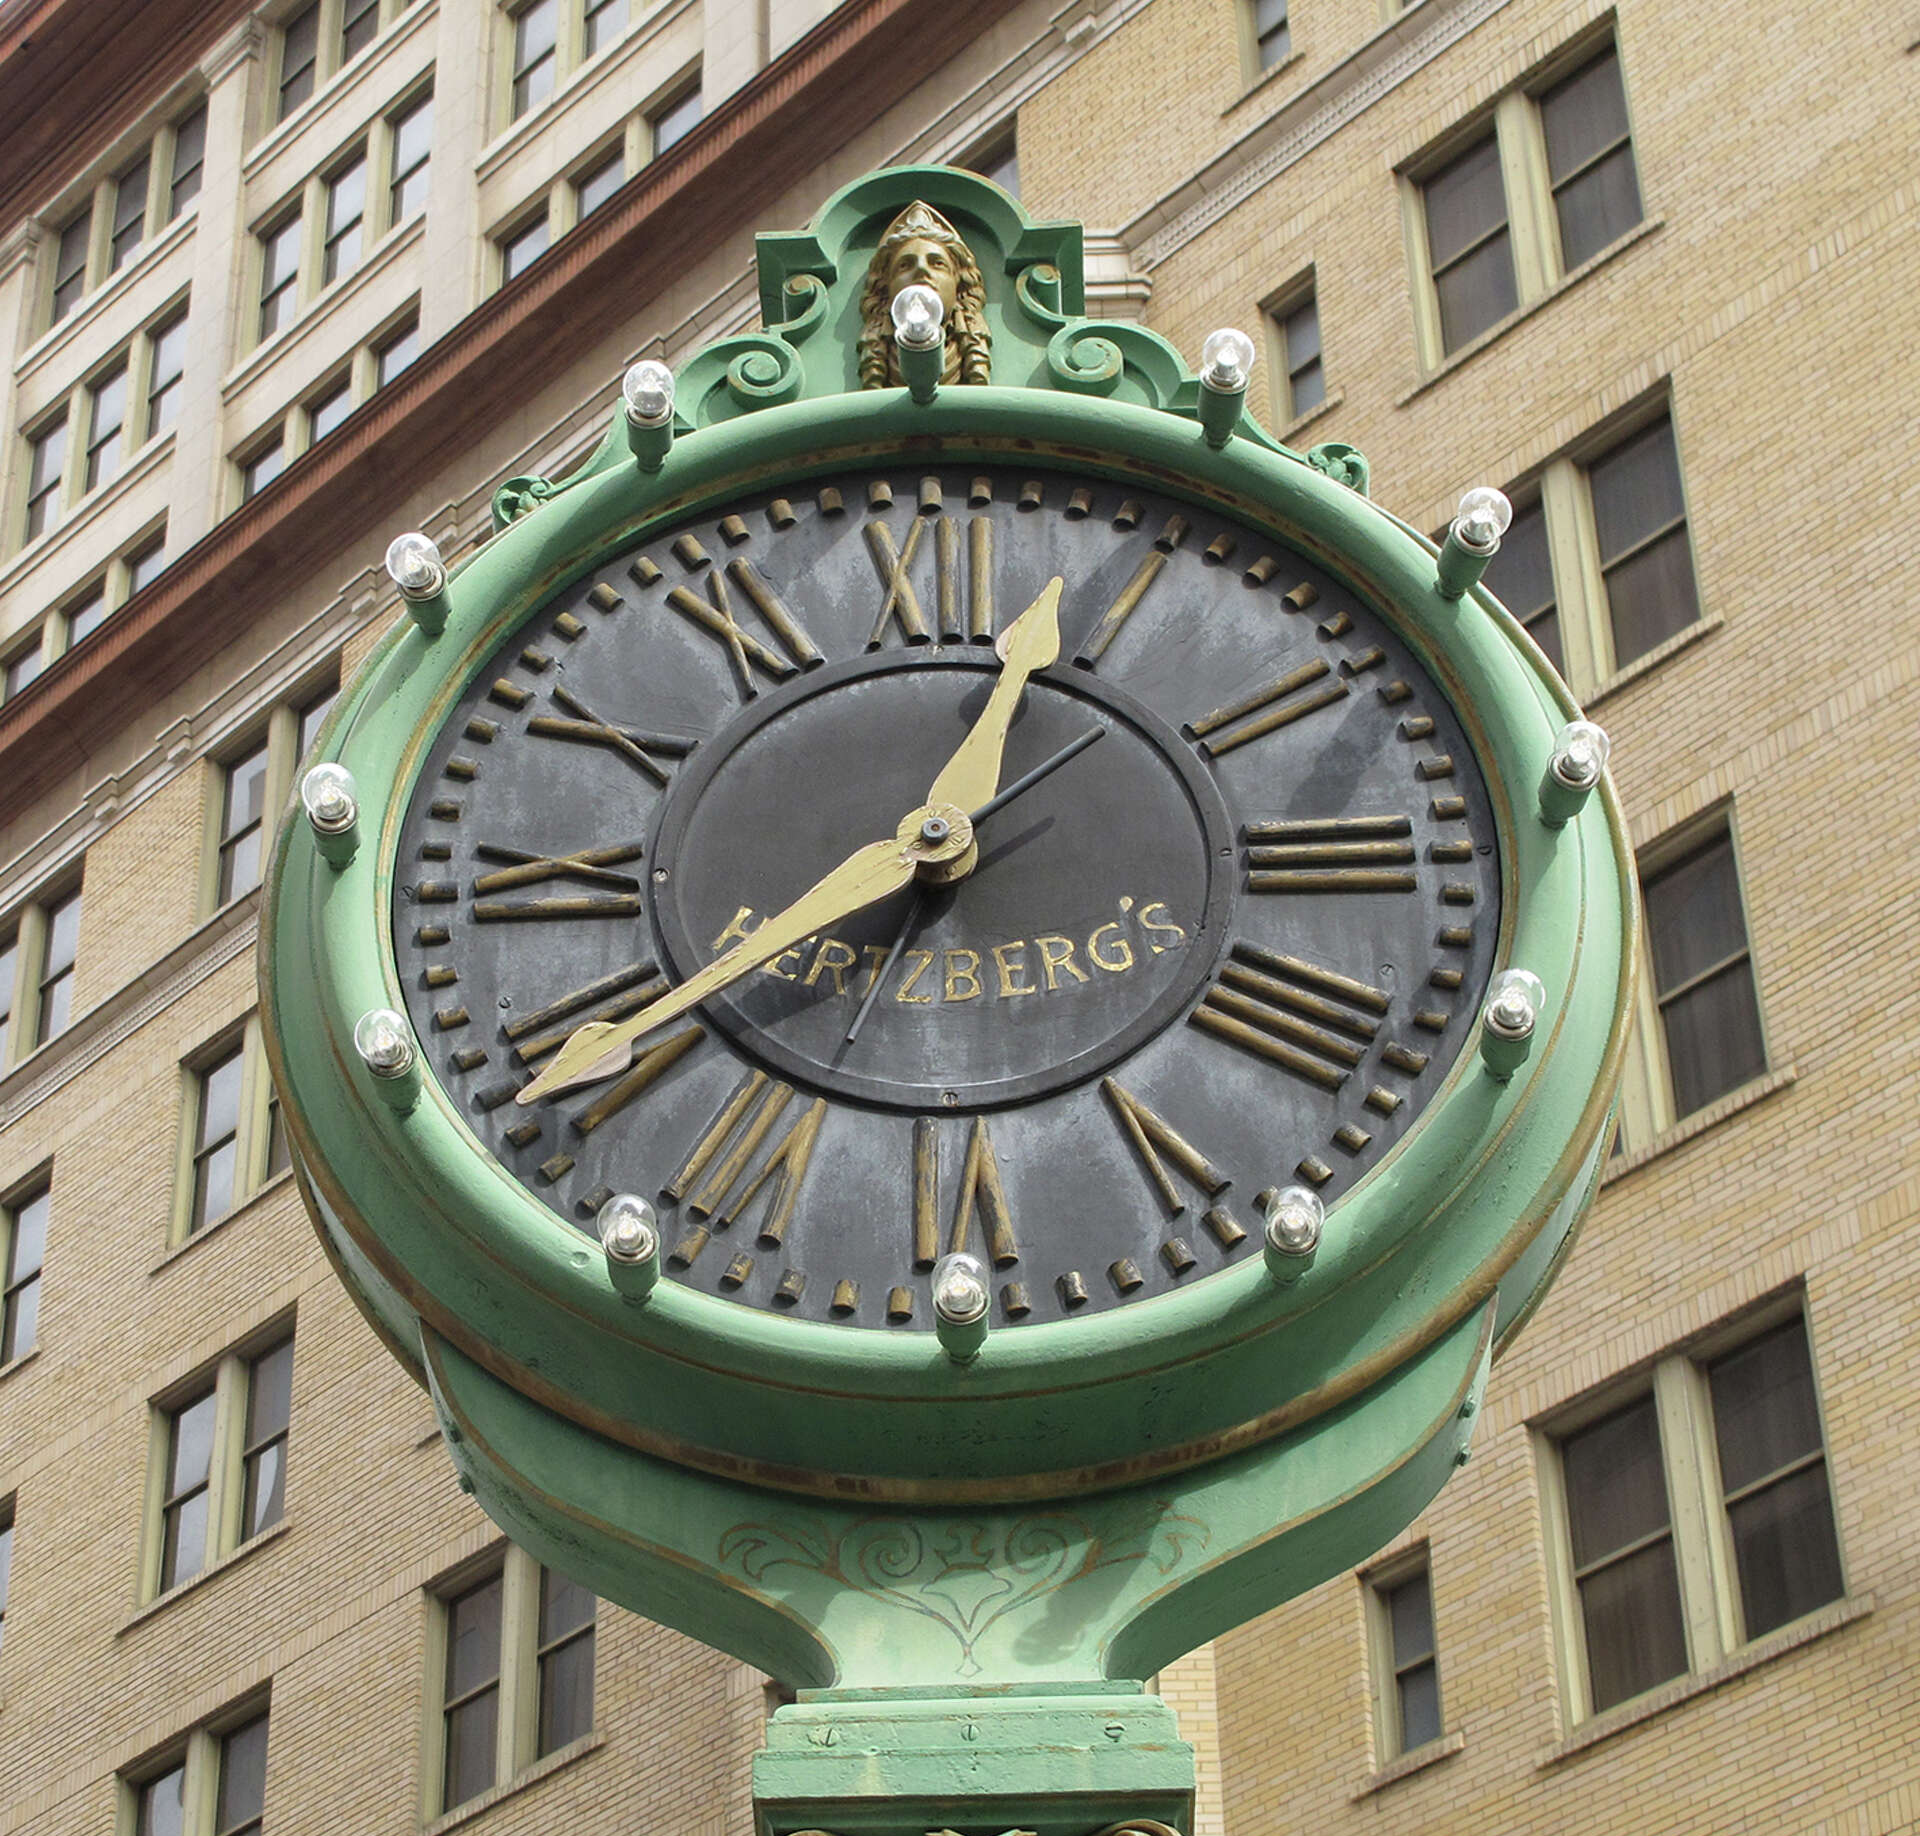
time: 12:38
